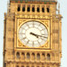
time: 4:17
